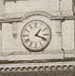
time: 1:18
